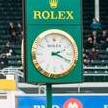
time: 2:18
